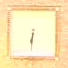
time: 6:31
